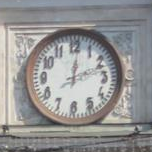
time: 12:11
